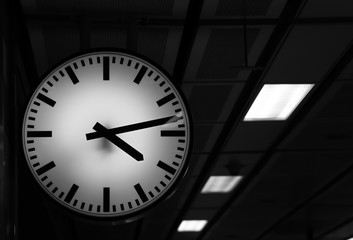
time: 4:12
